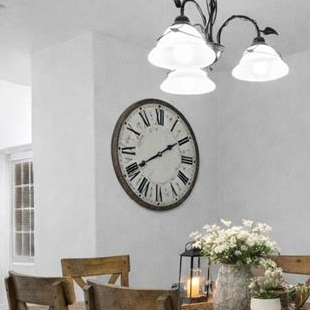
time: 8:09
